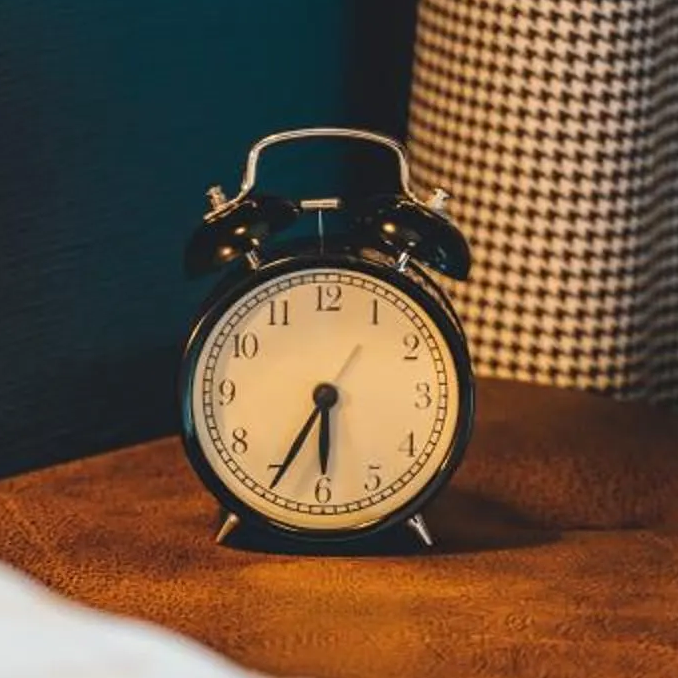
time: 5:34
